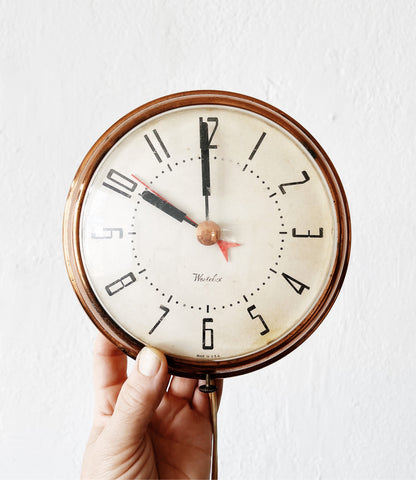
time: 9:59
